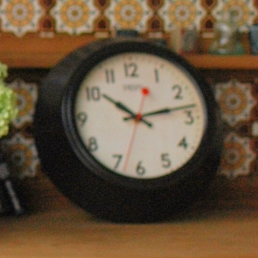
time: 10:13
